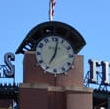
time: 7:02
